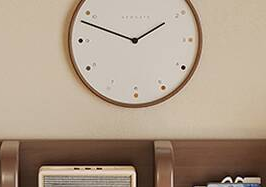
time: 1:48
